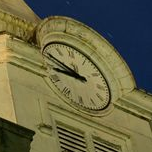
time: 8:49
